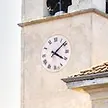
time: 4:08
